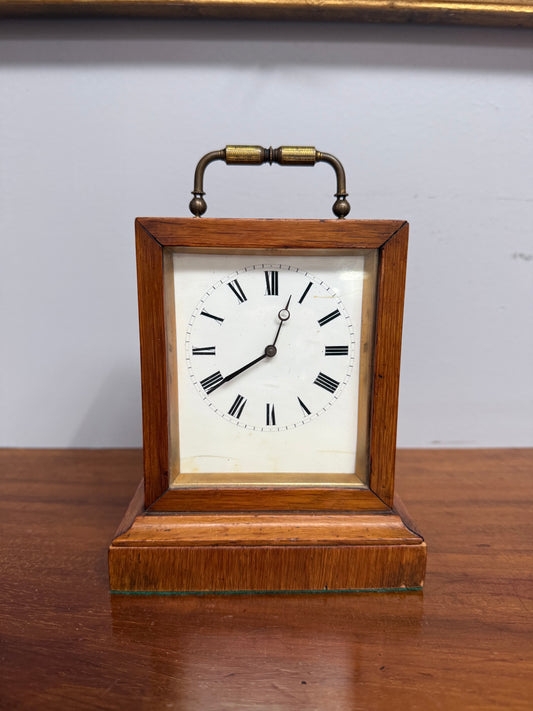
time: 12:40
